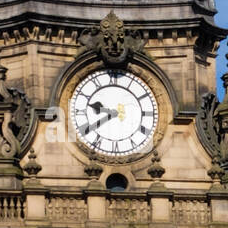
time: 9:39
